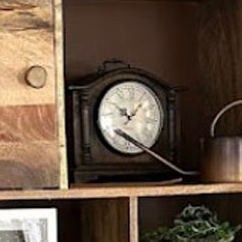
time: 10:07
